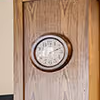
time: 2:11
